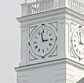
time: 2:57
